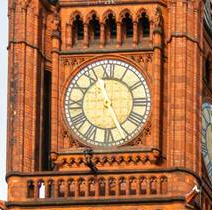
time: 11:25
